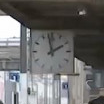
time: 1:58
